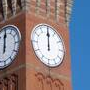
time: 12:00
